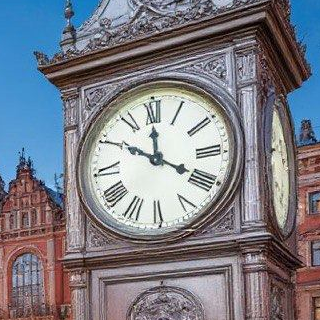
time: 11:50
